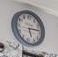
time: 5:13
